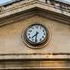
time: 7:31
